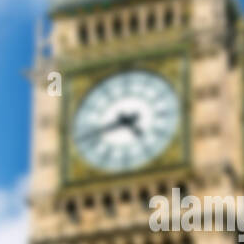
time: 4:42
